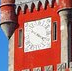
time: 4:20
